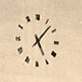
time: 5:07
